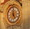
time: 4:59
